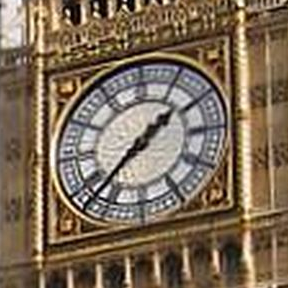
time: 1:37
